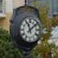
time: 11:07
